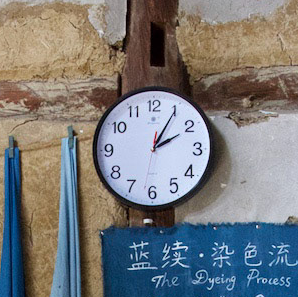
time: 2:05
